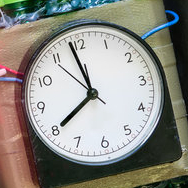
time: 7:58
